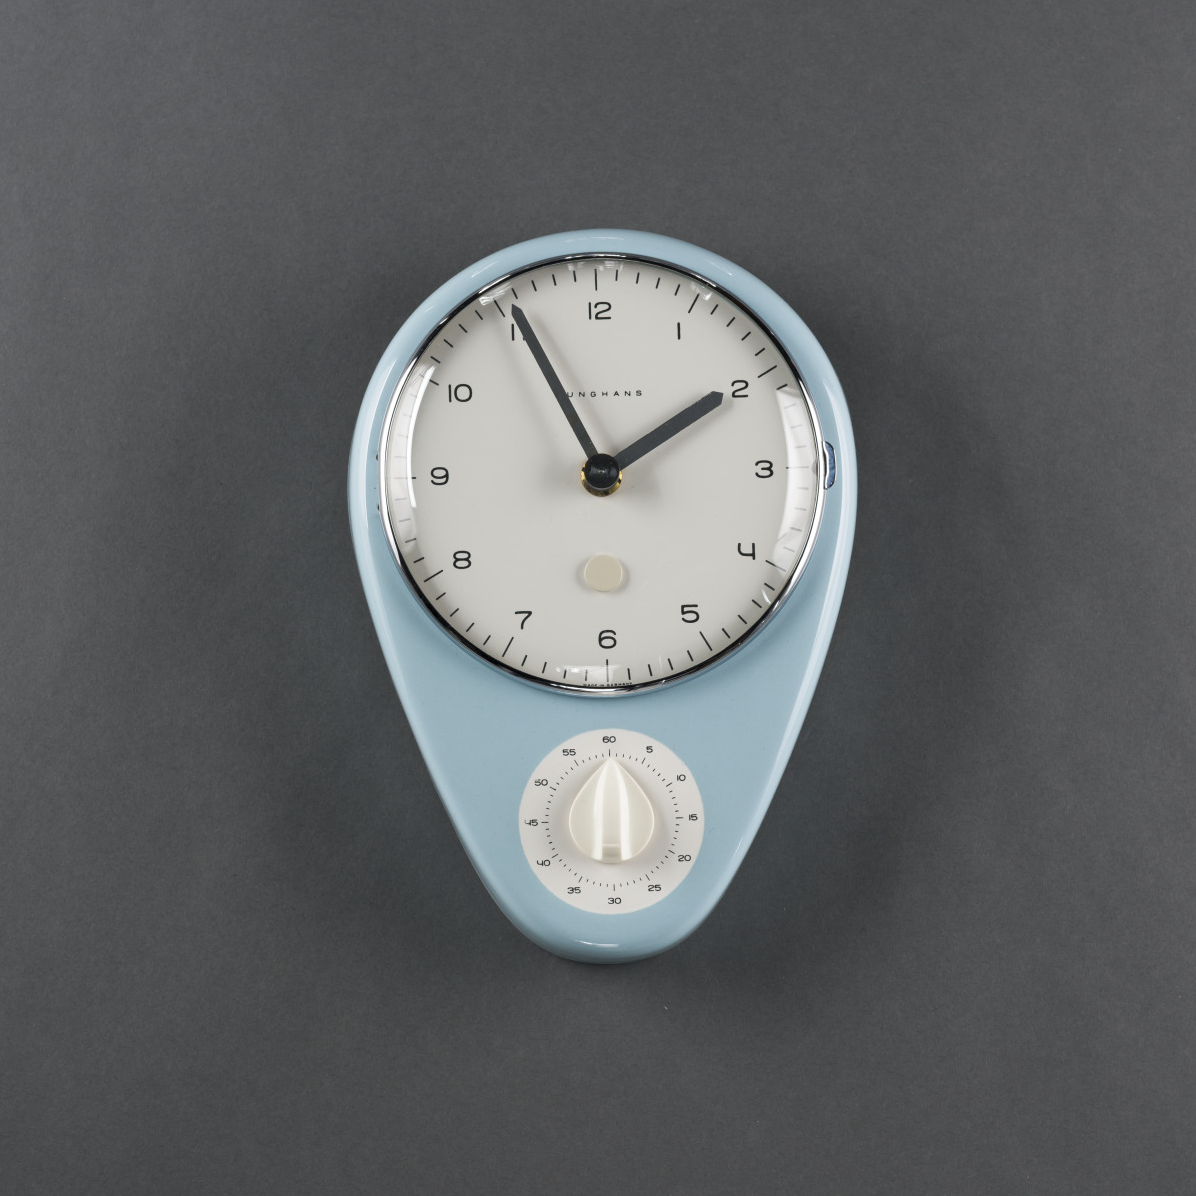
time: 1:55
